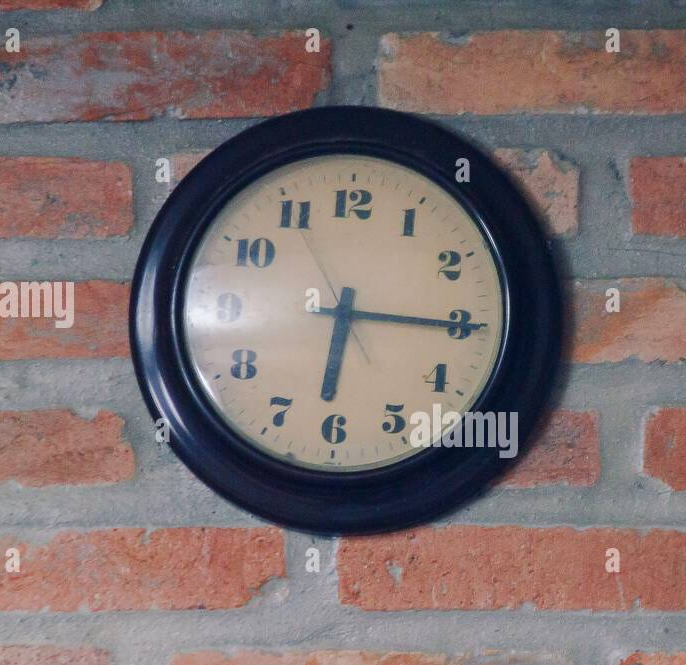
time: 6:15
